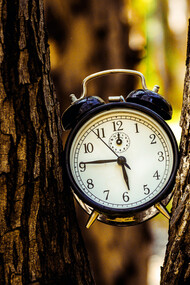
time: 5:45
